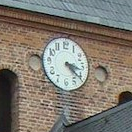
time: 3:21
